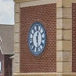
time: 12:28
